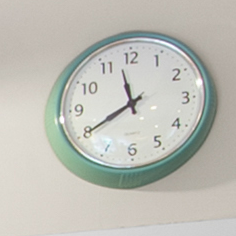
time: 11:40
